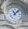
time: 11:07
